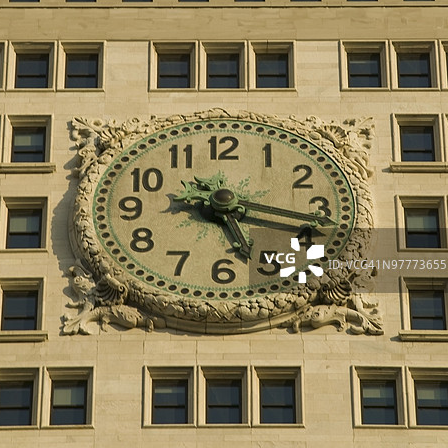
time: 5:16
